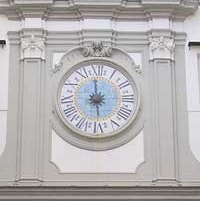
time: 5:59
